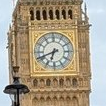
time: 6:41
